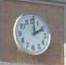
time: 2:00
